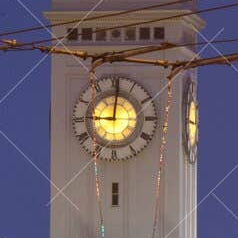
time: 9:01
